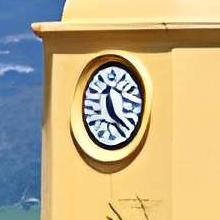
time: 11:21
